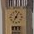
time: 7:04
